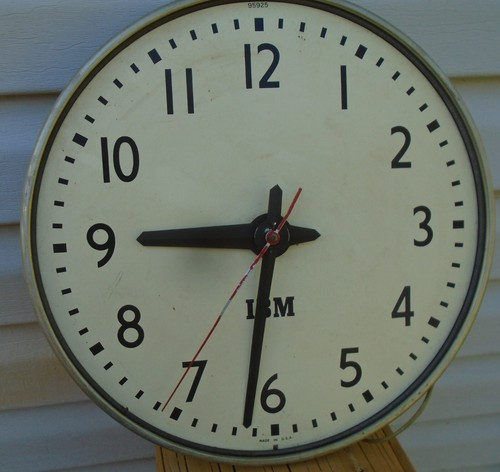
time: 8:31
